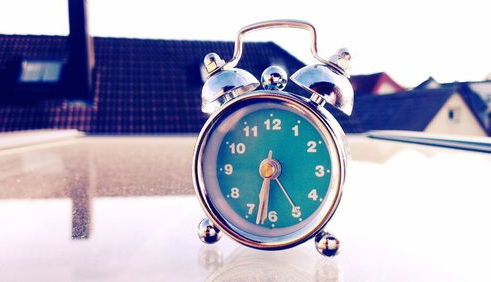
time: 6:32
